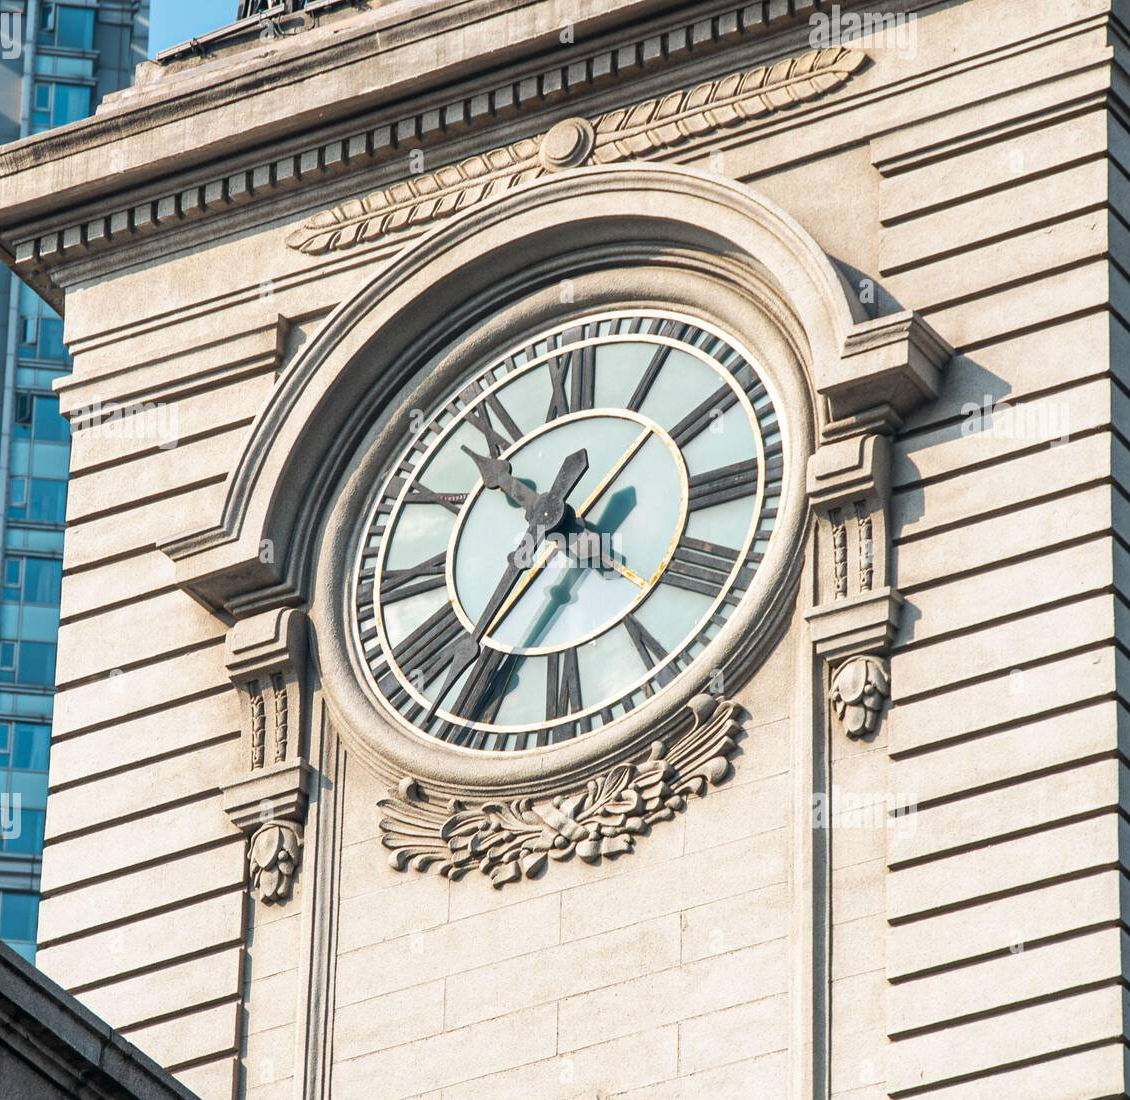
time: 10:36
